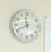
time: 11:41
